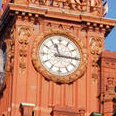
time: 11:15
